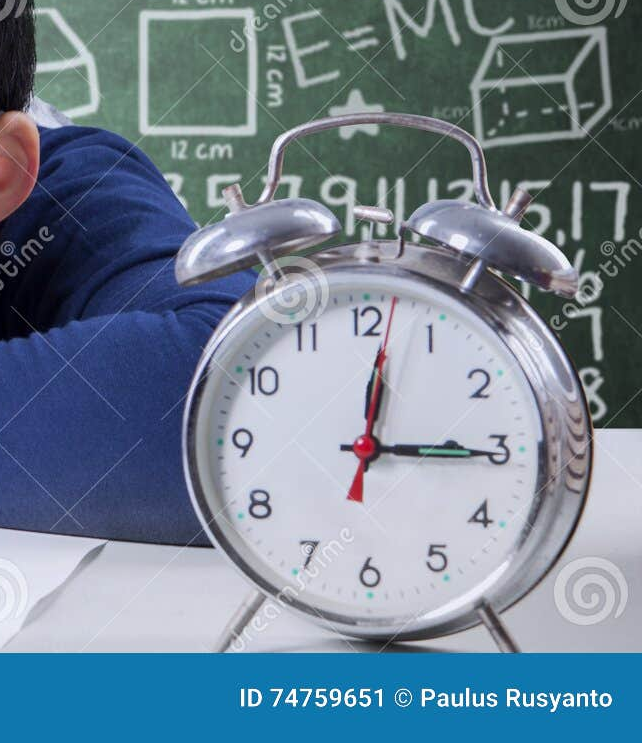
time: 12:15
